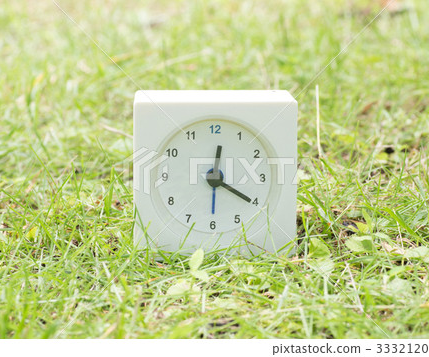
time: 12:20
